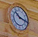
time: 10:17
